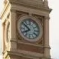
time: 7:51
